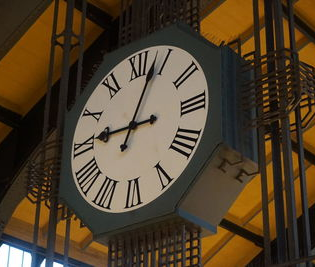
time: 9:03
